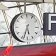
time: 5:33
